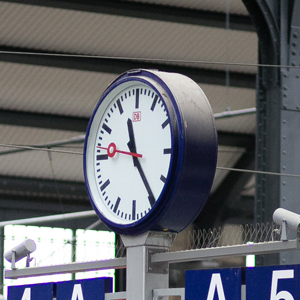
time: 11:24
